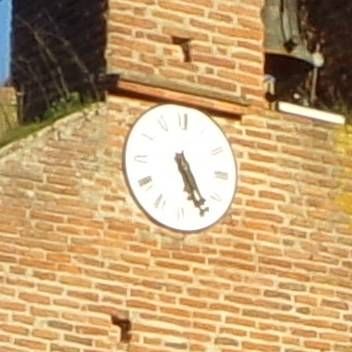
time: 5:24
